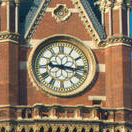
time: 9:16
